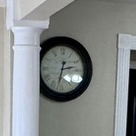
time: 2:32
